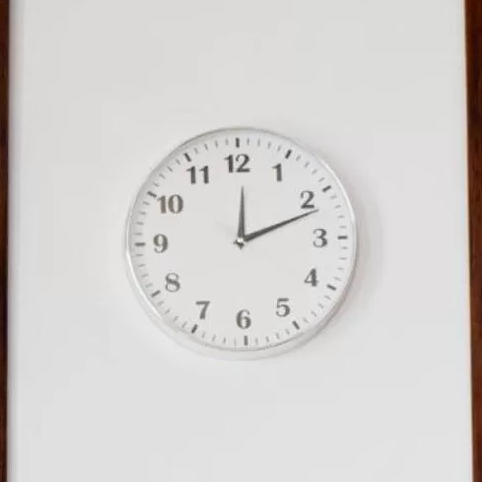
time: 12:11
